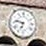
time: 6:47
